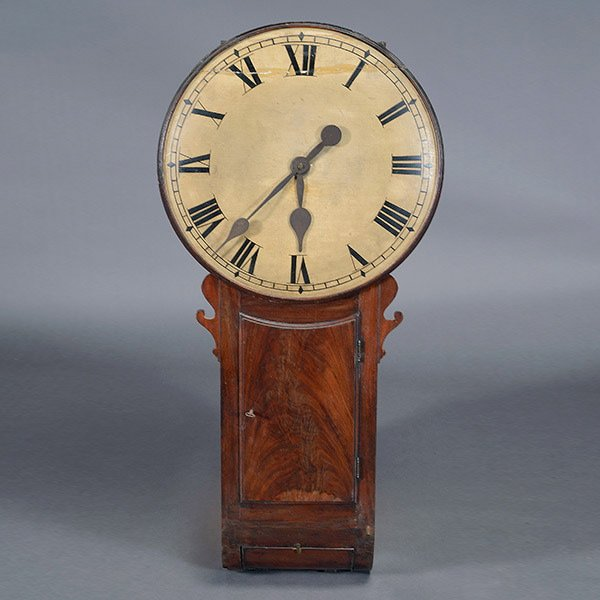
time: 1:30
